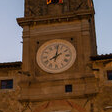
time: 8:01
